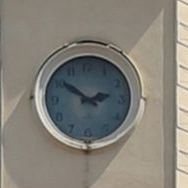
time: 2:50
